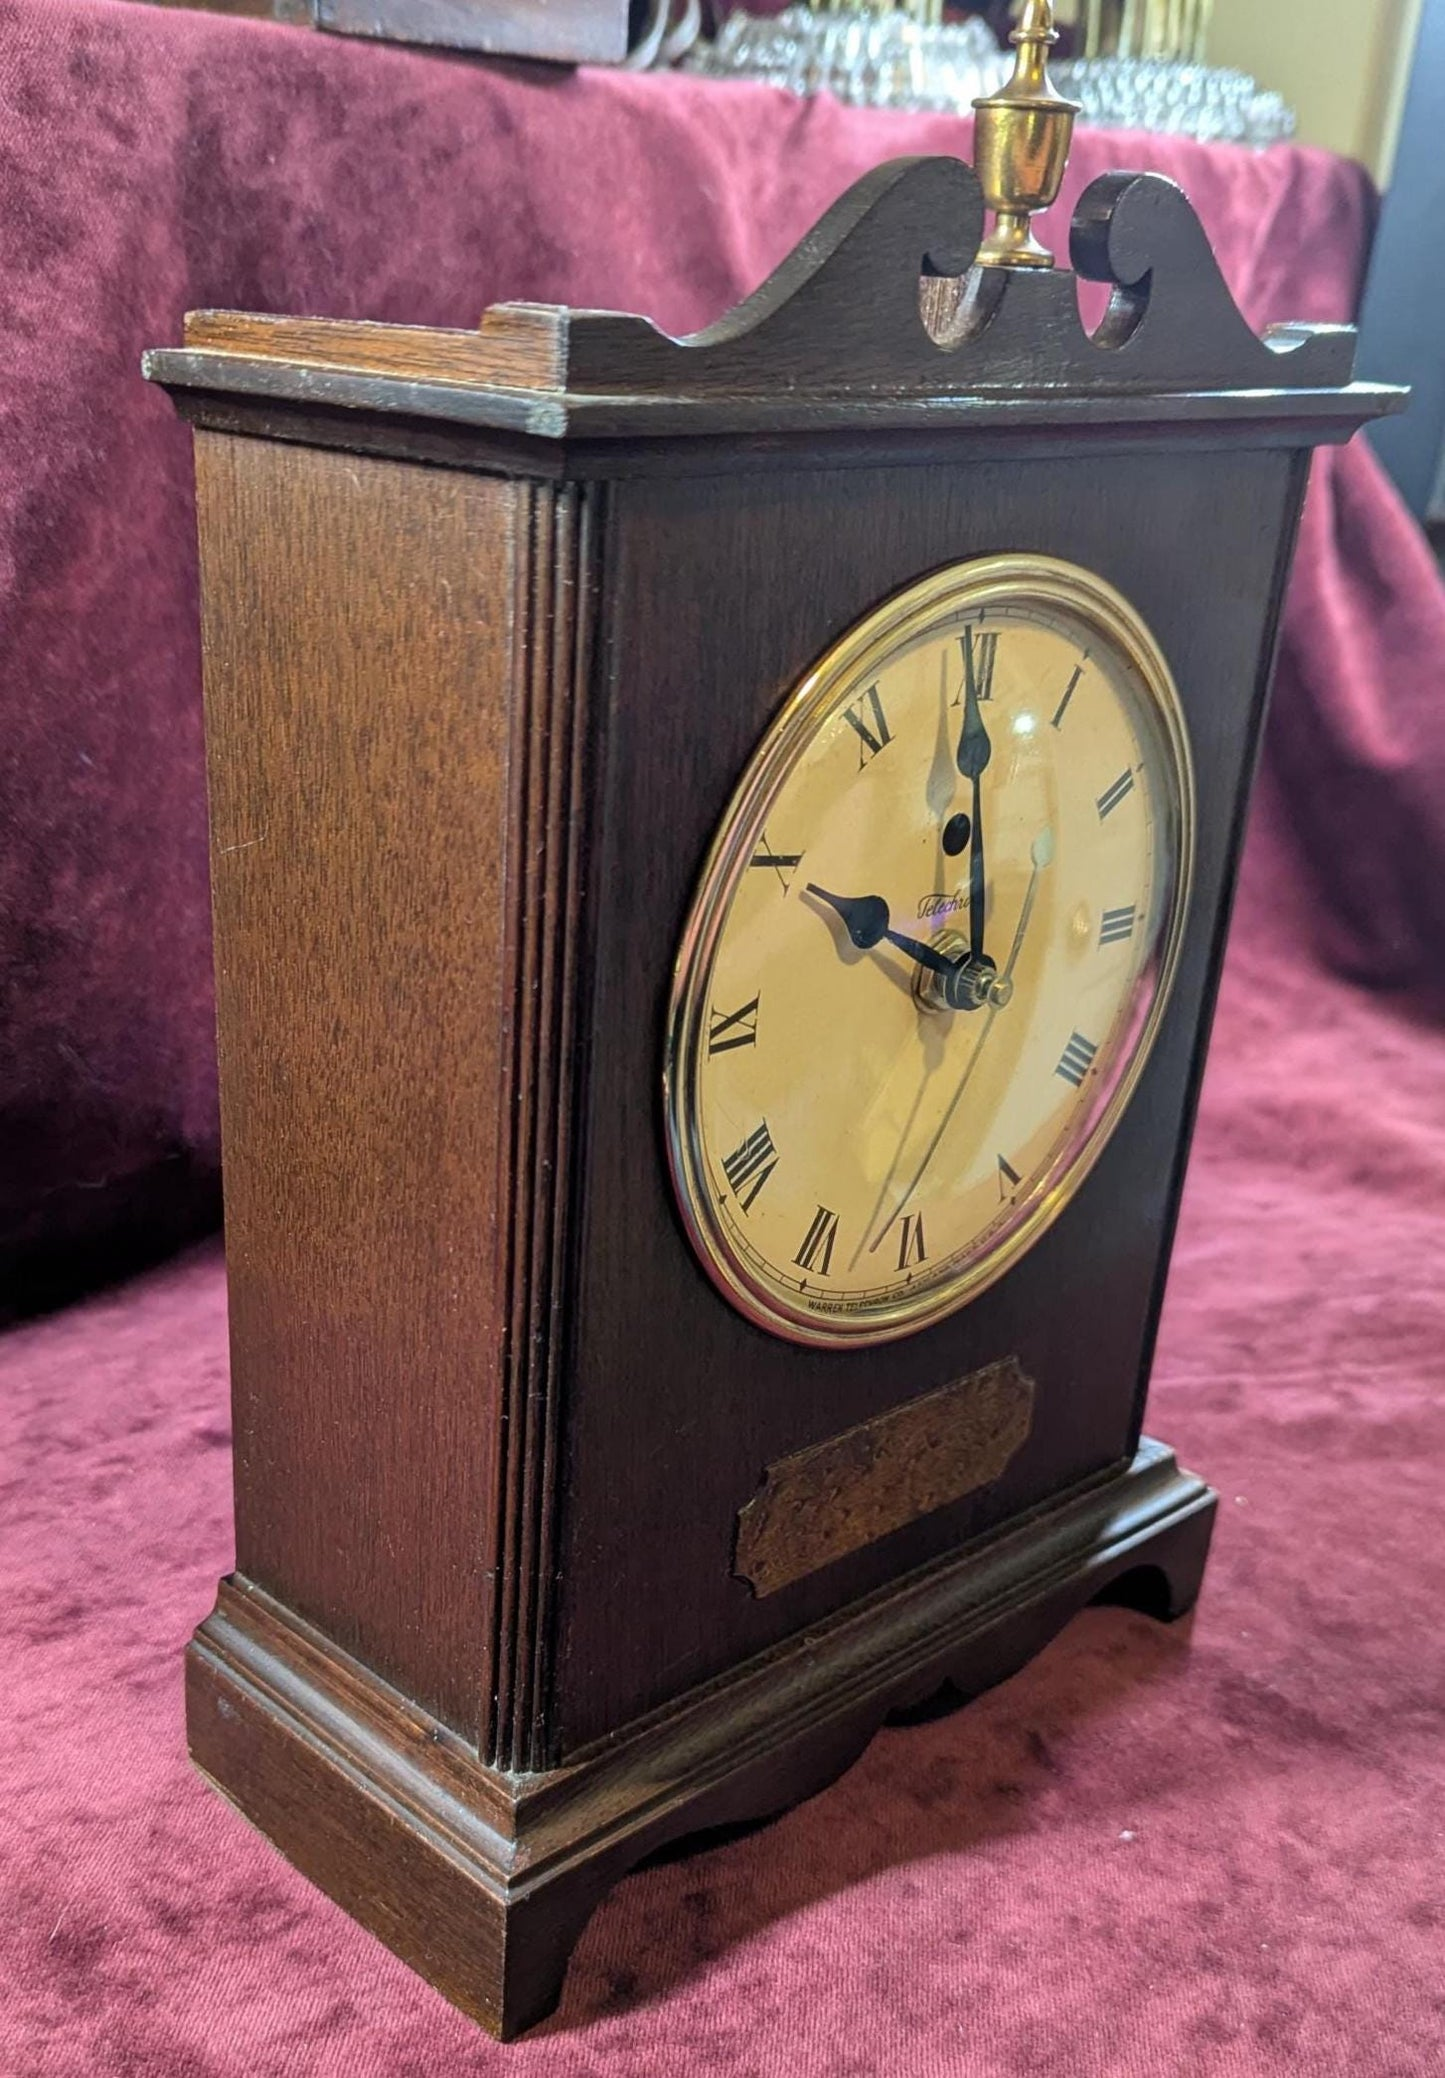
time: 10:00
